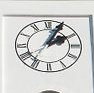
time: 2:04
